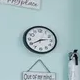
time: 2:40
